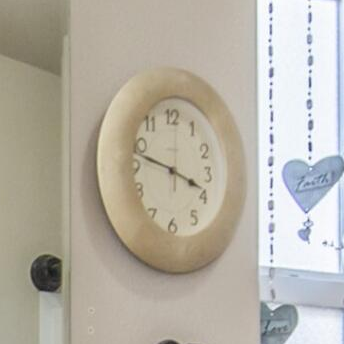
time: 3:47
